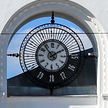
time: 1:53
